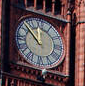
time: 11:52
